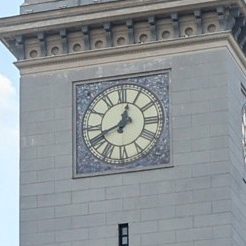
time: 12:41
